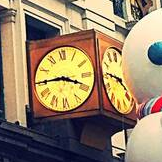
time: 3:45
